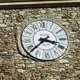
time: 3:38
